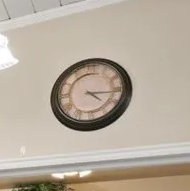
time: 4:16
